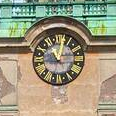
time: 11:02
